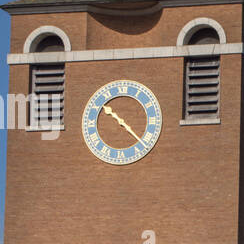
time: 10:22
